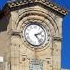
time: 2:23
